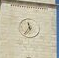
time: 11:35
